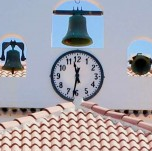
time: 11:31
